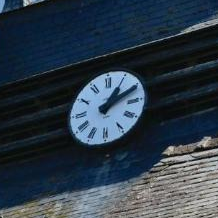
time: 1:10
